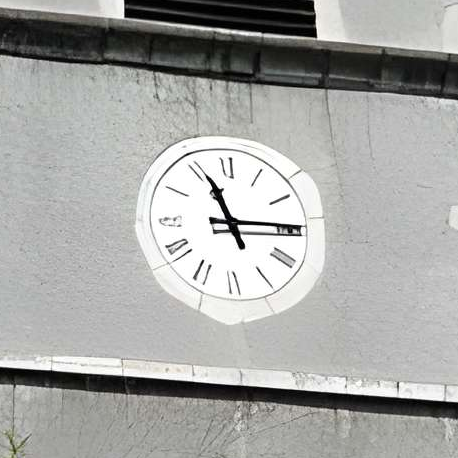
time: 11:14
